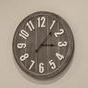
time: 3:06
